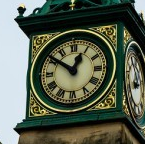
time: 12:51
